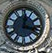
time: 12:18
